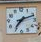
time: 7:11
